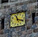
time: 11:18
